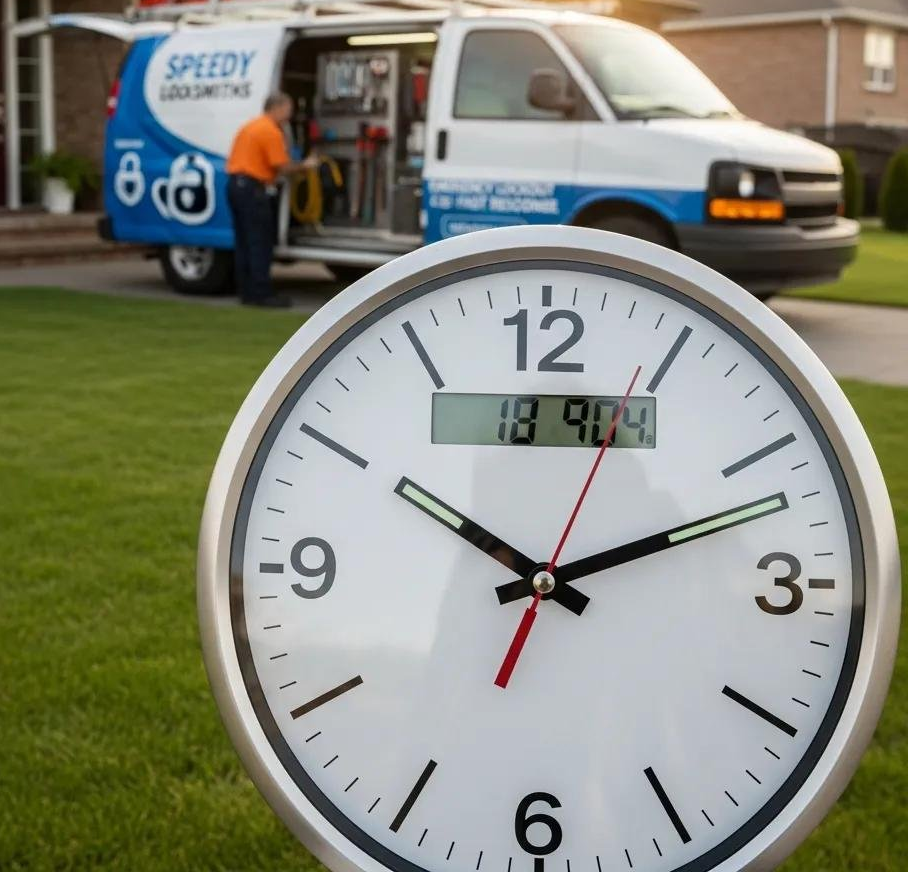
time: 10:11
